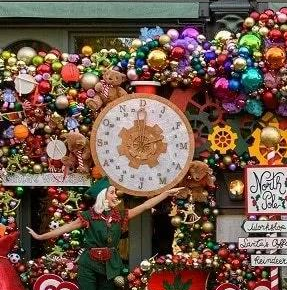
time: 12:12
